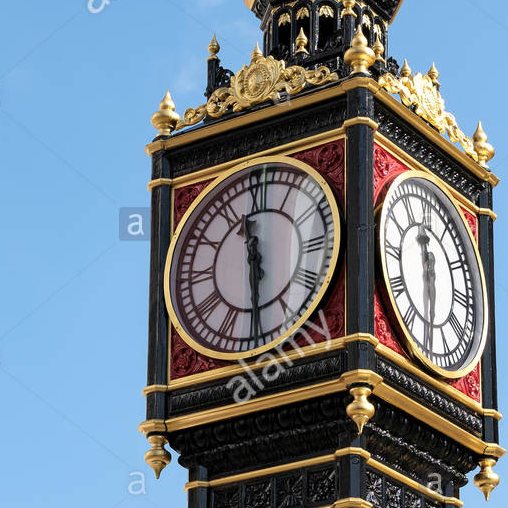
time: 11:29
